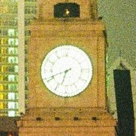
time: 6:41
